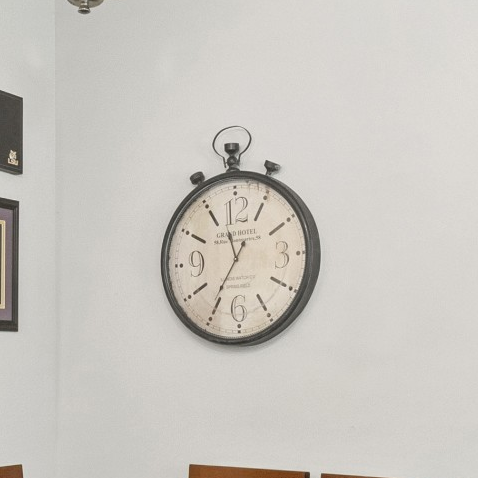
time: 11:35
